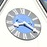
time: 8:19
